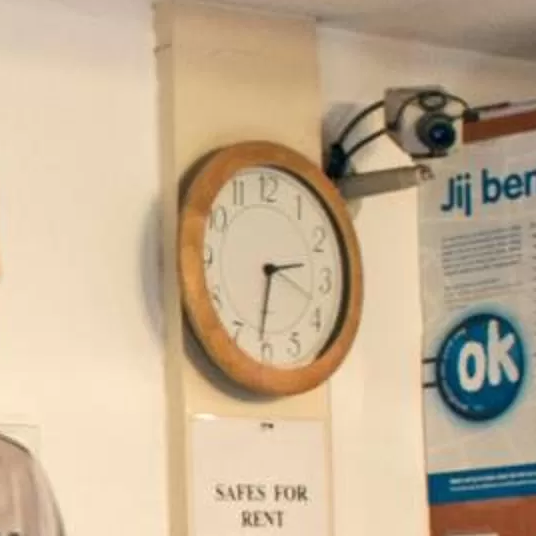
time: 2:31
